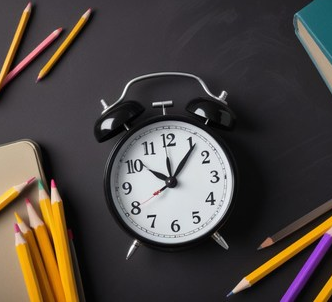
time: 10:06
